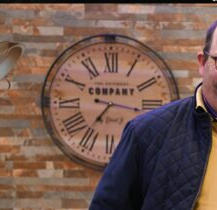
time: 7:16
